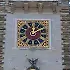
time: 12:09
